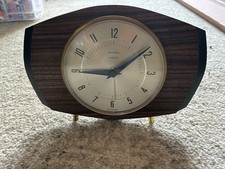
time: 9:08
